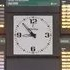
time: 8:53
